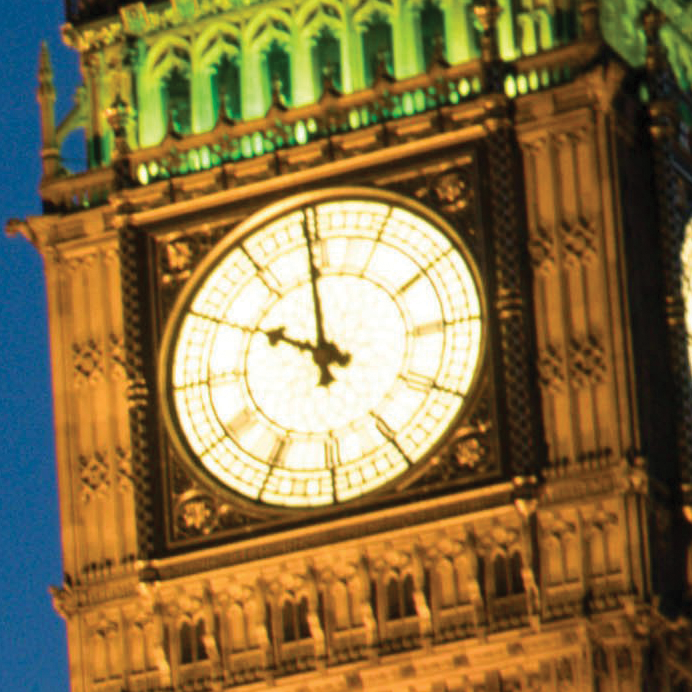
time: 9:59
